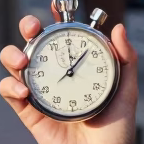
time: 12:07
